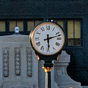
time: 2:29
